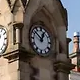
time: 12:51
